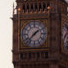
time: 1:37
